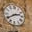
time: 2:40
